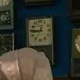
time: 12:44
